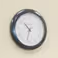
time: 10:32
